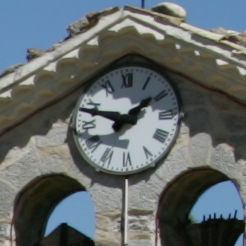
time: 1:48
